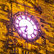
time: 6:41
